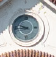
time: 9:43
